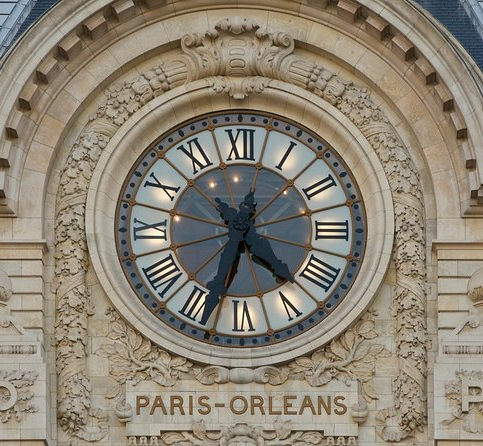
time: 4:33
